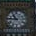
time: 10:45
